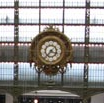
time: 3:36
